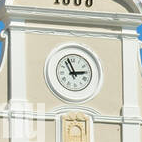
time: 2:56
